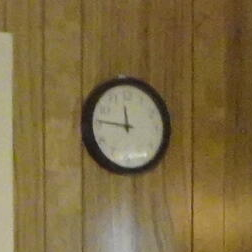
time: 11:46
